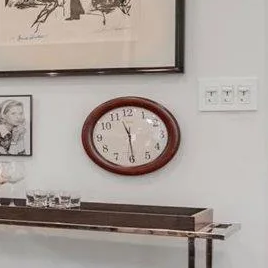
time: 11:29
